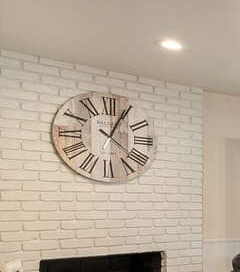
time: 4:04
